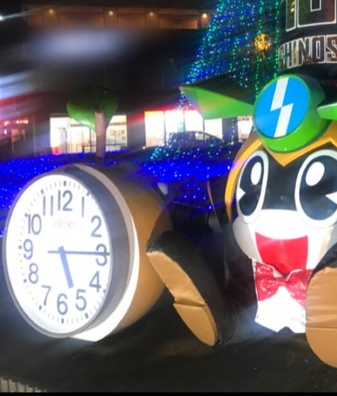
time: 5:14
